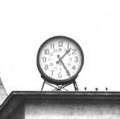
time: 1:24
